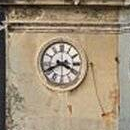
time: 3:40
